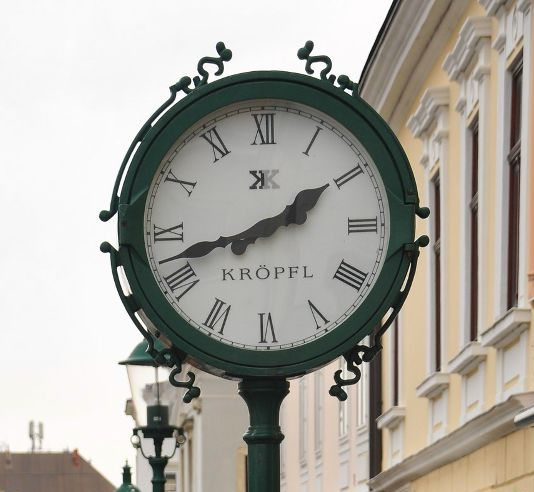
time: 1:42
